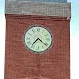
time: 7:21
